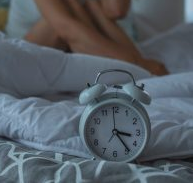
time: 3:23
